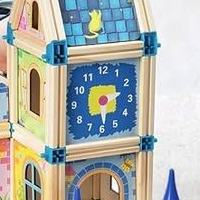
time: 2:29
